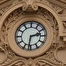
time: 2:31
